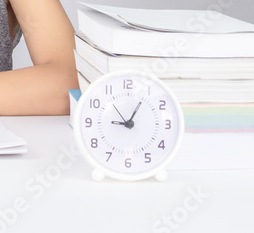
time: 9:05
